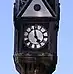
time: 4:58
